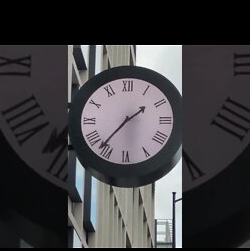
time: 1:36
